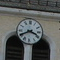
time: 3:40
